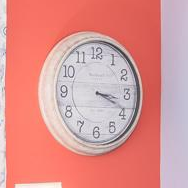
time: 3:18
